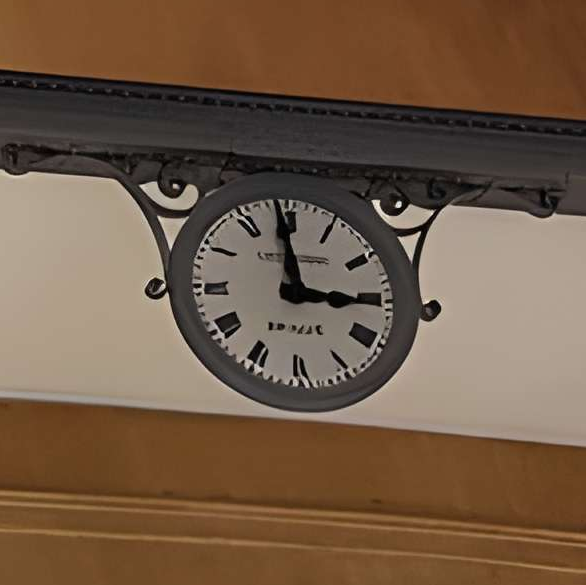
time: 2:58
